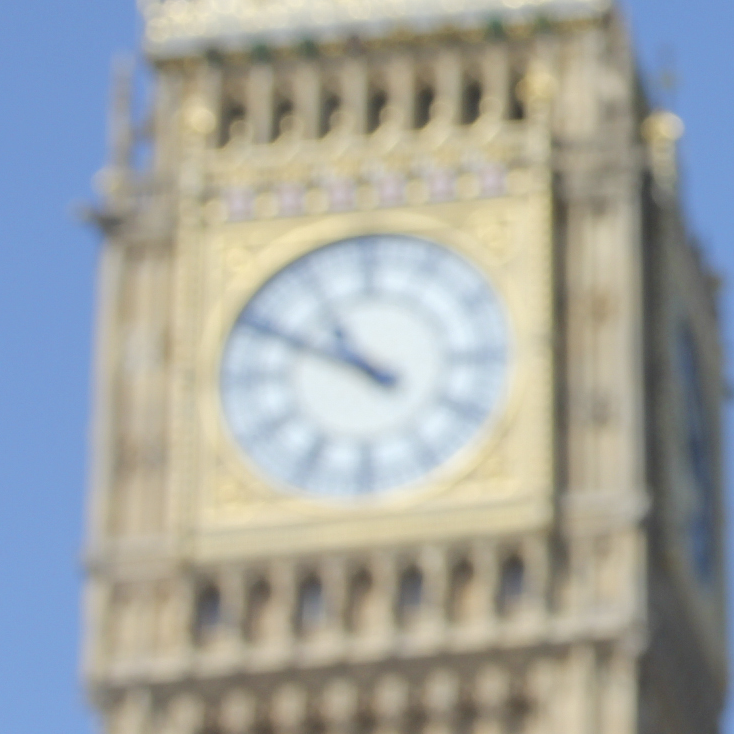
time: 10:49
